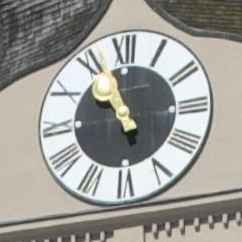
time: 10:56
